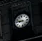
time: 8:47
